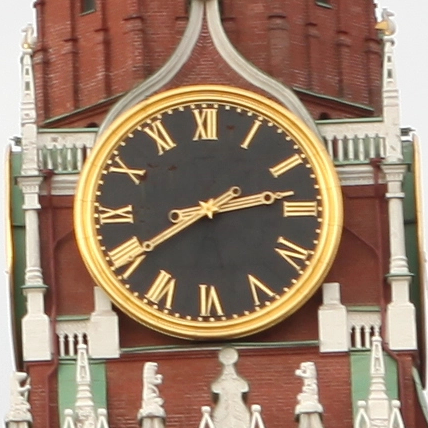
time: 2:40
